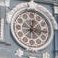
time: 12:16
